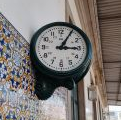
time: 3:05
